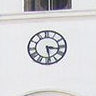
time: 3:28
